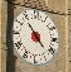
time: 10:22
